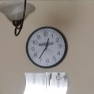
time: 12:36
